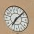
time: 7:08
